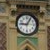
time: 9:05
